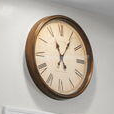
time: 11:05
